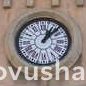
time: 1:07
